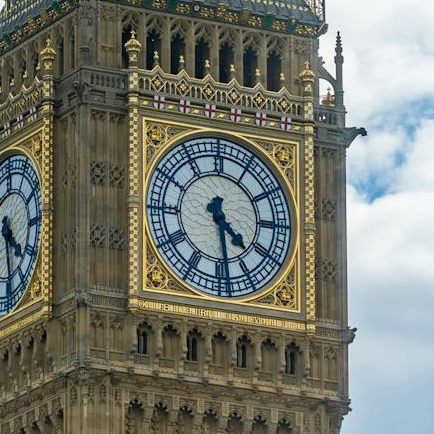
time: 4:28
